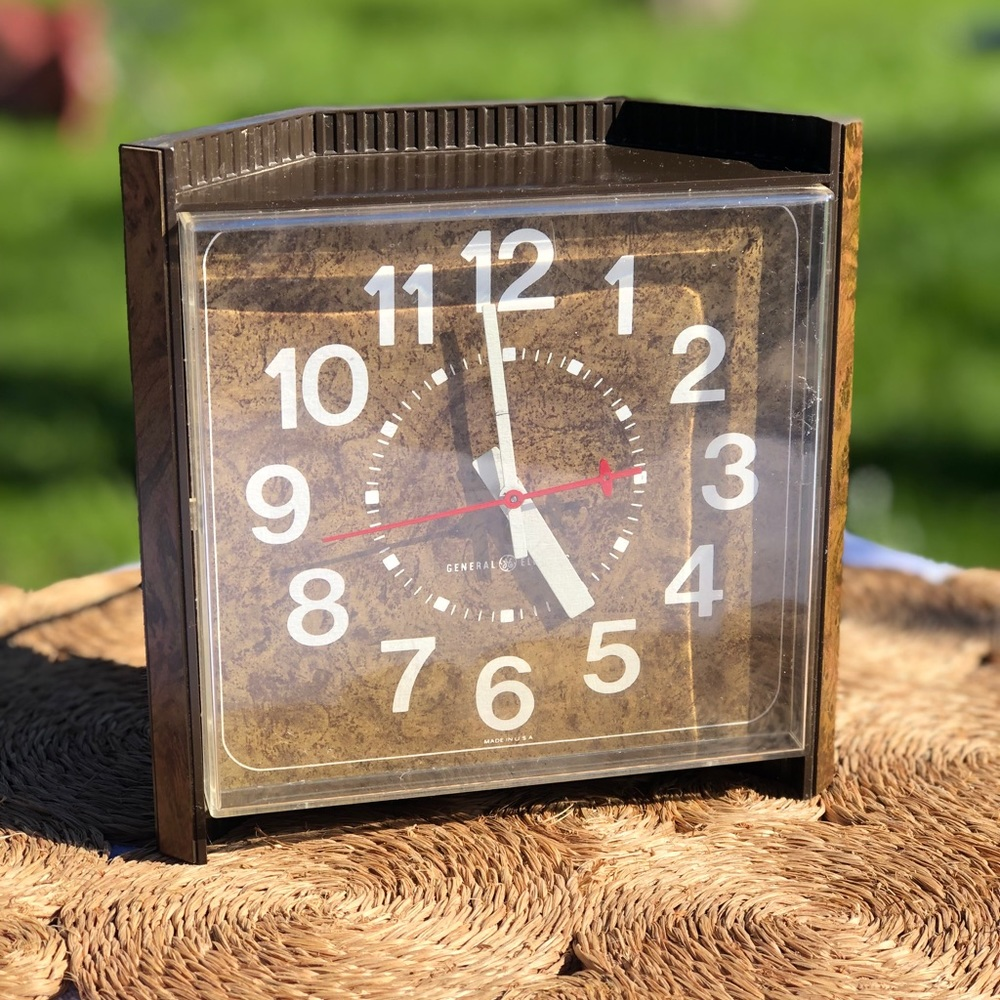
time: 4:59
